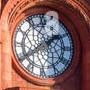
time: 1:39
